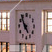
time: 4:52
